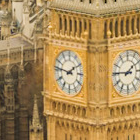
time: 1:46
